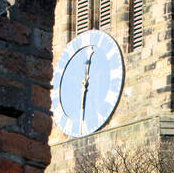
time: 12:30
